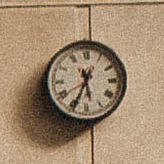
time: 5:34
